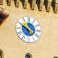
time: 4:49
